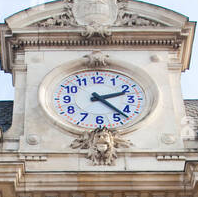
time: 2:22
